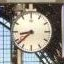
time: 8:38
